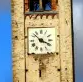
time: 3:52
